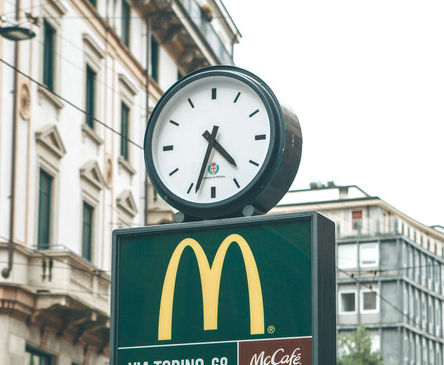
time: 4:33
